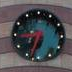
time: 8:33
